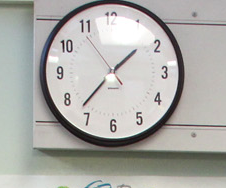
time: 1:37
